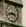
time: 3:41
